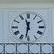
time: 11:31
